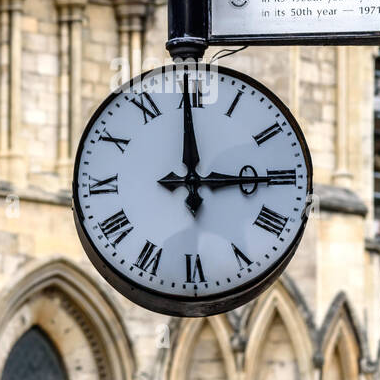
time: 2:59
